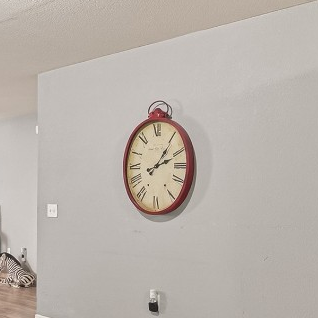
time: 1:11
